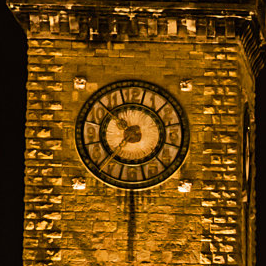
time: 10:36
